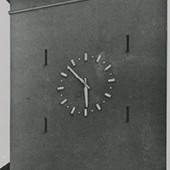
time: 5:52
